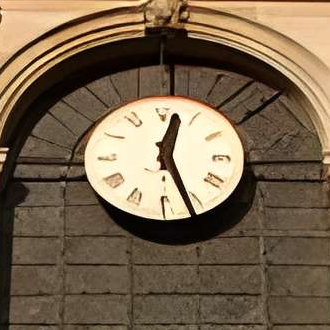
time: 12:26
